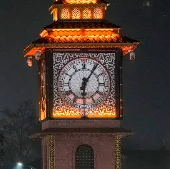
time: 6:05
